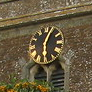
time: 6:03
